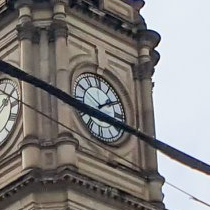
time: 1:50
